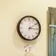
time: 3:09
